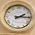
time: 2:15
